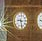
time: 9:28
